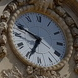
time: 6:48
